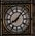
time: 8:07
